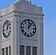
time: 12:06
